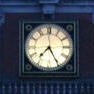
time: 7:25
